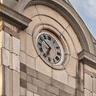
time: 6:51
